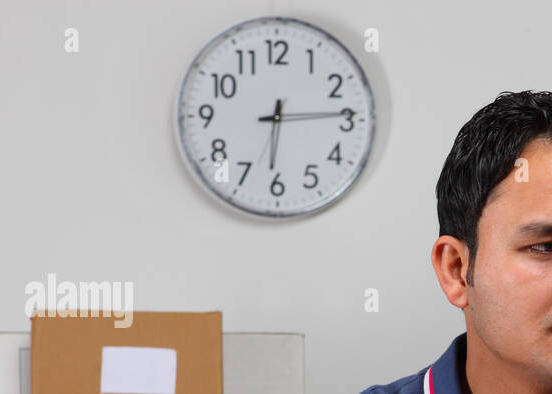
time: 6:14
